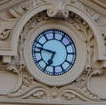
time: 6:47
